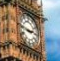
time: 2:46
